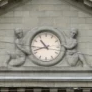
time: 10:42
